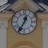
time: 12:34
